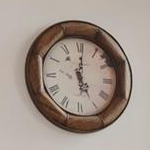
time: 5:01
